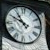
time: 10:49
